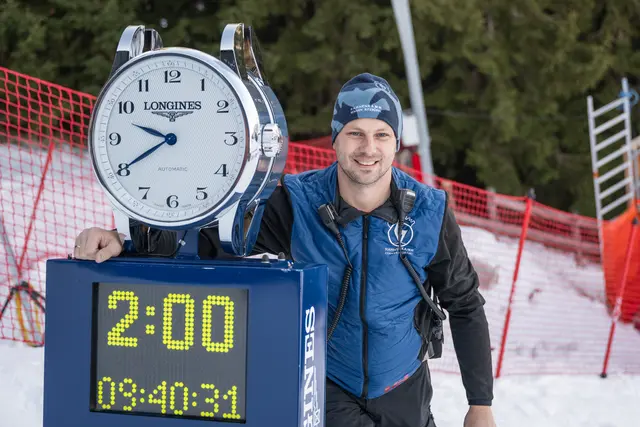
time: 9:40
